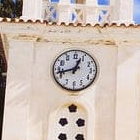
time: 12:42
